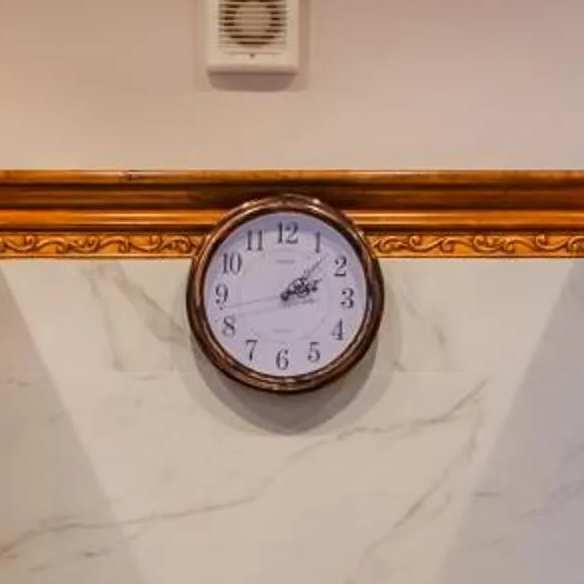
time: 2:07
